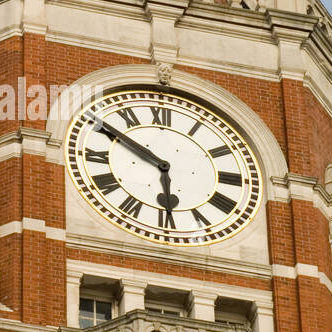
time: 5:50
